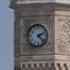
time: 2:22
